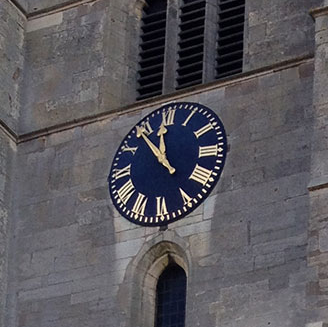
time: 11:53
